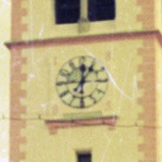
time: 12:06
